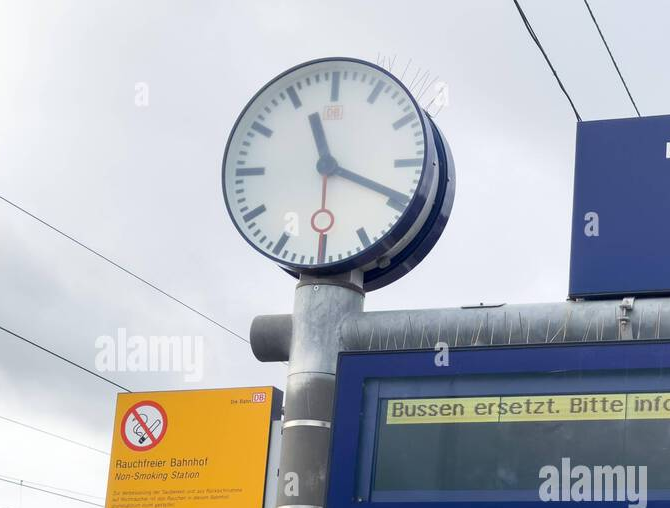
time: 11:19
